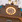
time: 8:27
